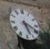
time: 5:18
